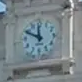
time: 11:49
